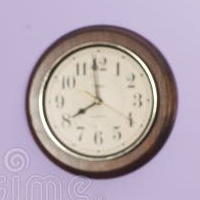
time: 7:59
